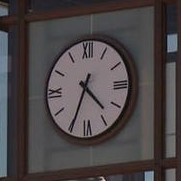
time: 4:34
